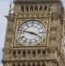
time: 3:47
